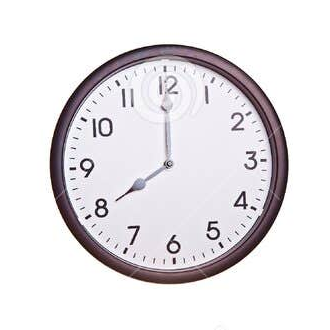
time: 7:59
